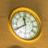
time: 11:40
